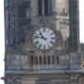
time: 10:47
